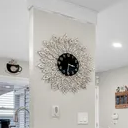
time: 3:32
